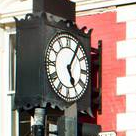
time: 5:05
